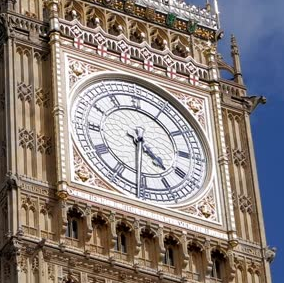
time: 4:31
